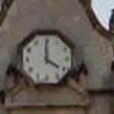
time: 4:00
